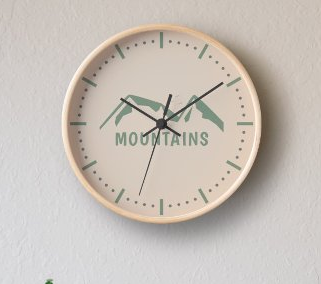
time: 10:09
